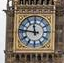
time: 11:46
